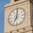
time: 7:01
